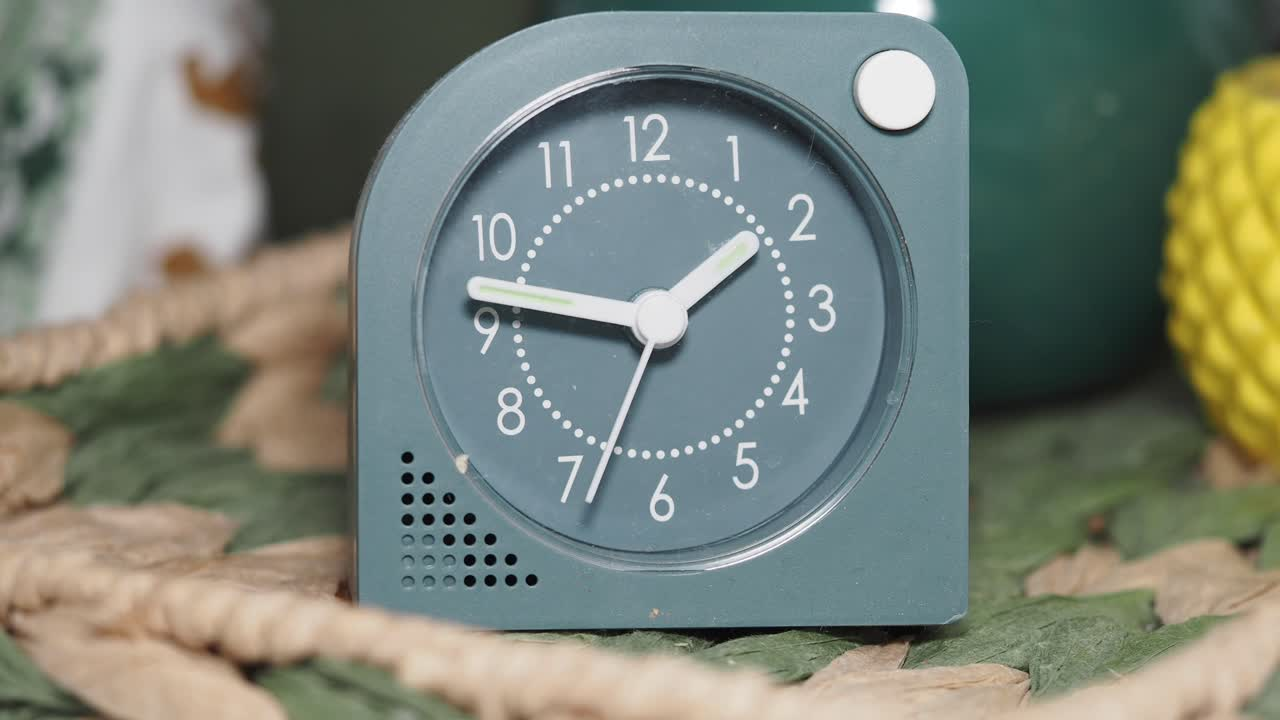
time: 1:46
